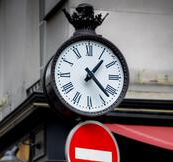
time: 1:22
